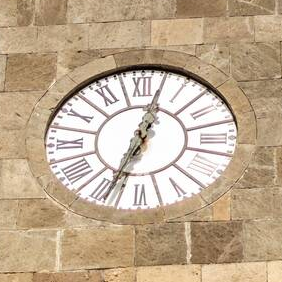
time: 12:34
